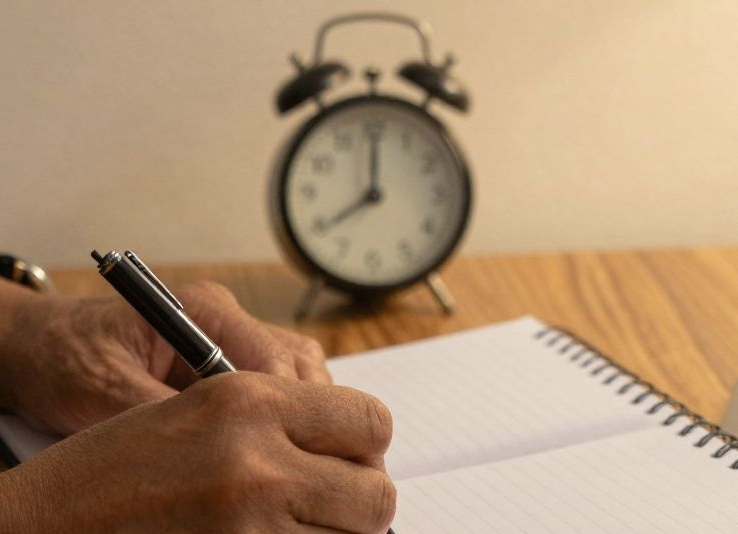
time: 8:00
